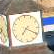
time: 7:19
